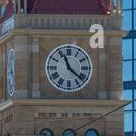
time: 11:21
